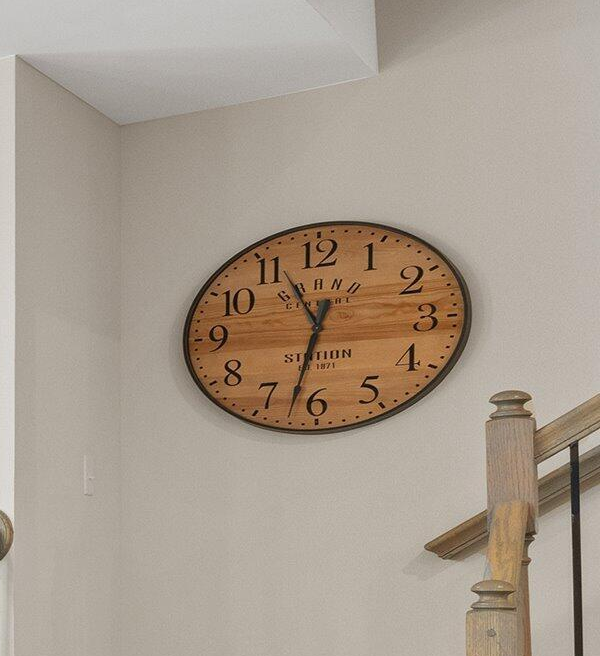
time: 12:32
